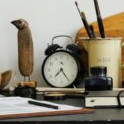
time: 7:24
